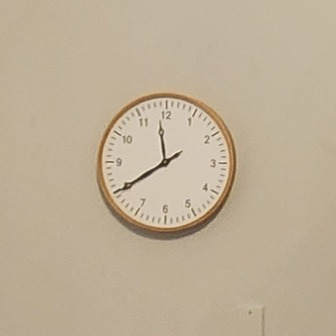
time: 11:39
